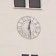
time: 12:28
